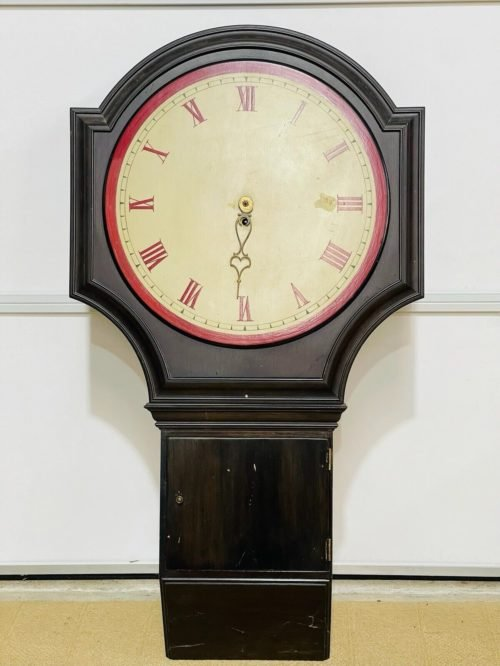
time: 6:30
